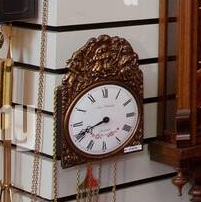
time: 8:41
